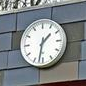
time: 1:32
